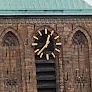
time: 12:37
